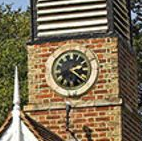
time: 2:21
